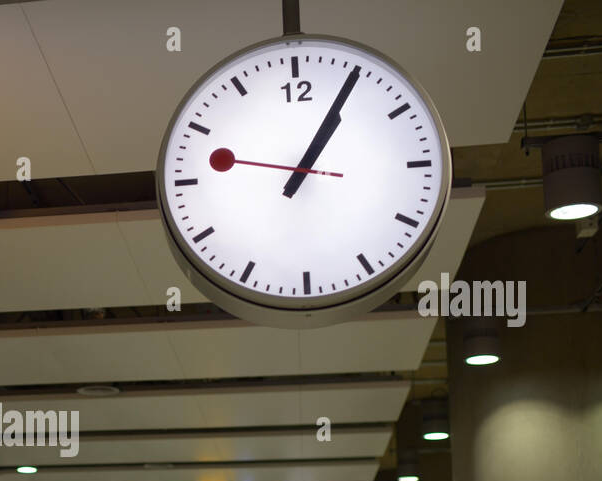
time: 1:05
